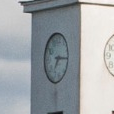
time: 7:15
